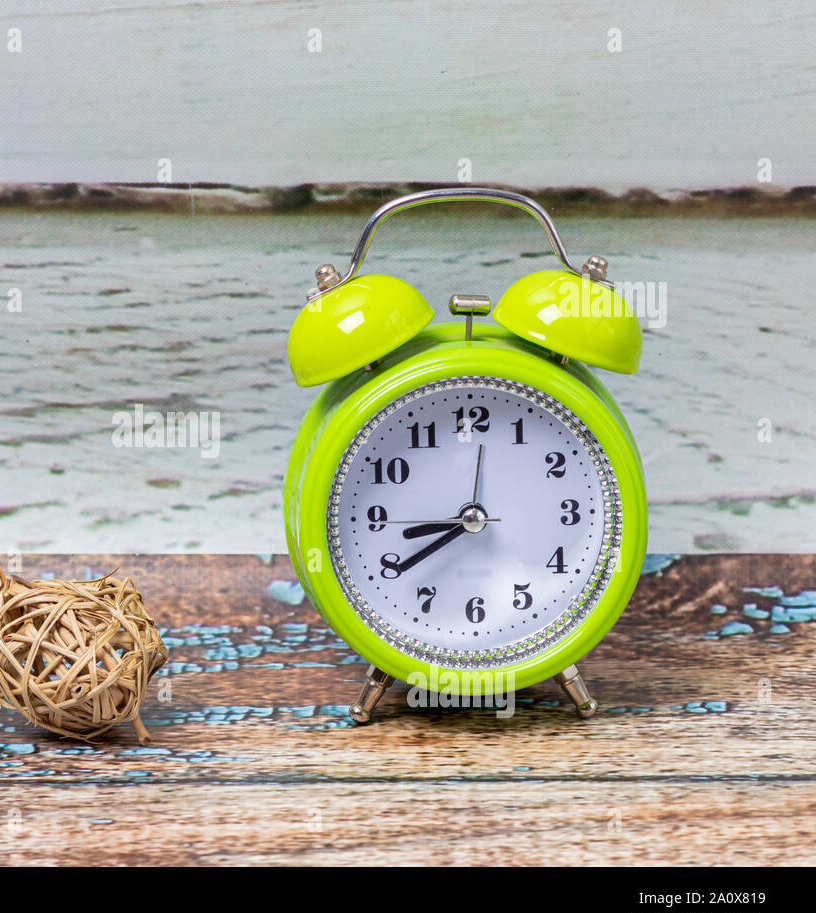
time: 8:39
